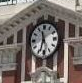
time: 11:33
